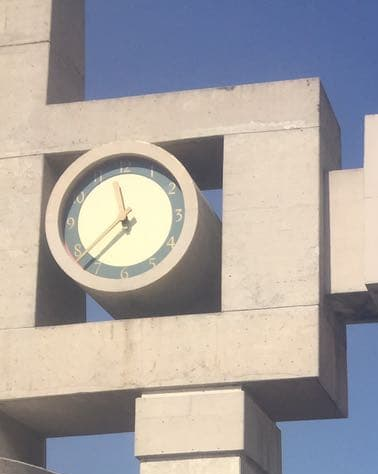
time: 11:37
